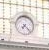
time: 7:22
